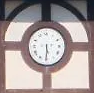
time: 5:30
